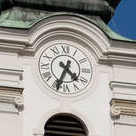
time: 4:34
